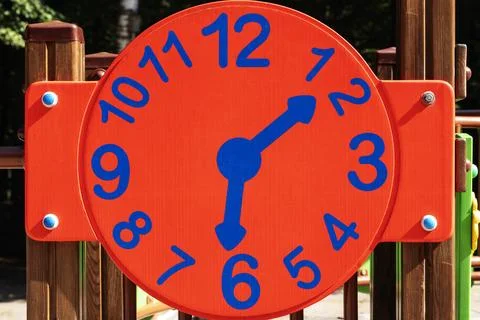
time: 1:31
